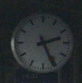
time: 2:25
